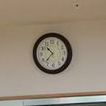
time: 10:37
